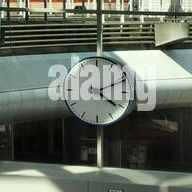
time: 4:11
